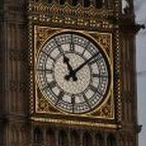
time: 11:08
